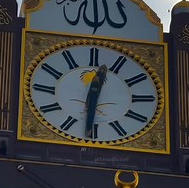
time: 12:30
